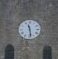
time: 11:28
